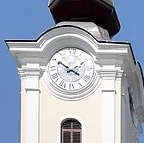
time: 1:50
